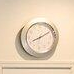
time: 8:09
